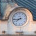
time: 7:43
